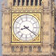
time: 8:21
